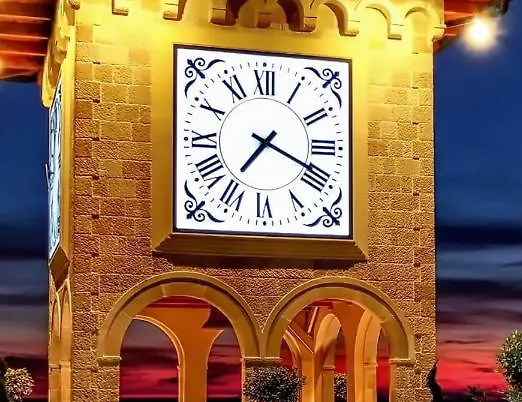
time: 7:18
